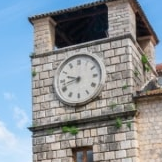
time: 9:42
